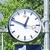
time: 12:48
